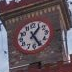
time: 1:25
